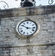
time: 10:17
